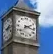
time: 2:17
